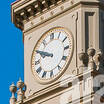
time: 9:50
